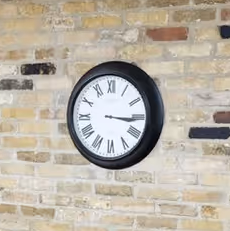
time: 3:15
